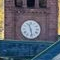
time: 11:28
